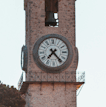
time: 7:23
